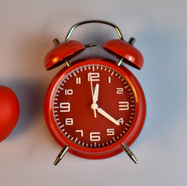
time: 12:21
